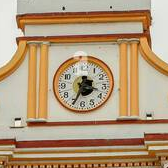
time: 3:34
